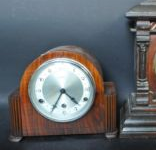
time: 4:34
